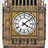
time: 4:08
